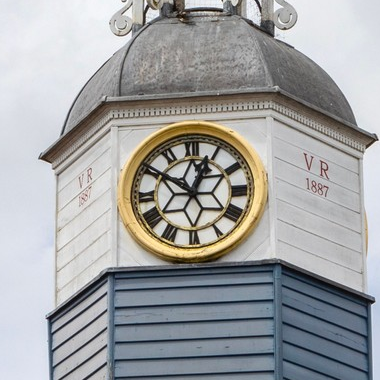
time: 12:50
